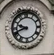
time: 9:41
